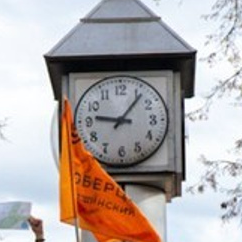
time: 9:06
